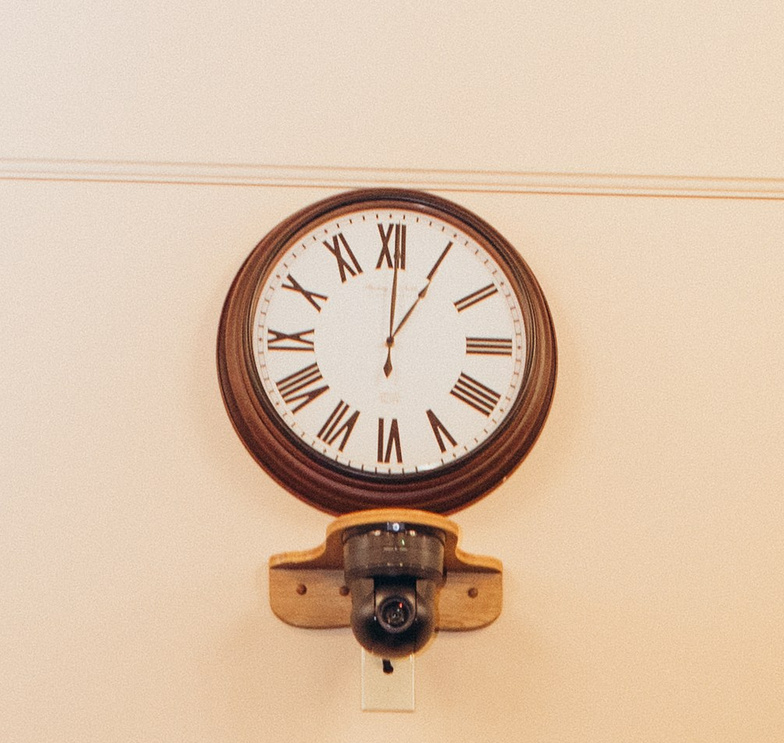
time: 1:00
